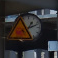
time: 1:12
